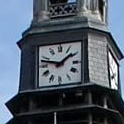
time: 1:47
